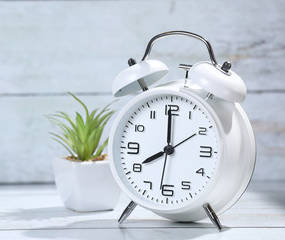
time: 7:59
